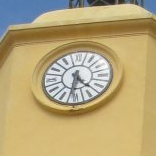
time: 4:32
